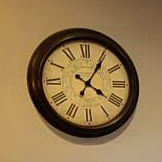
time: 4:05
